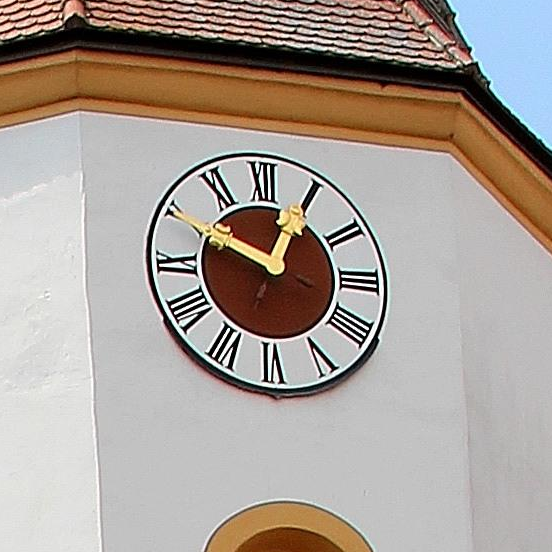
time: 12:49
